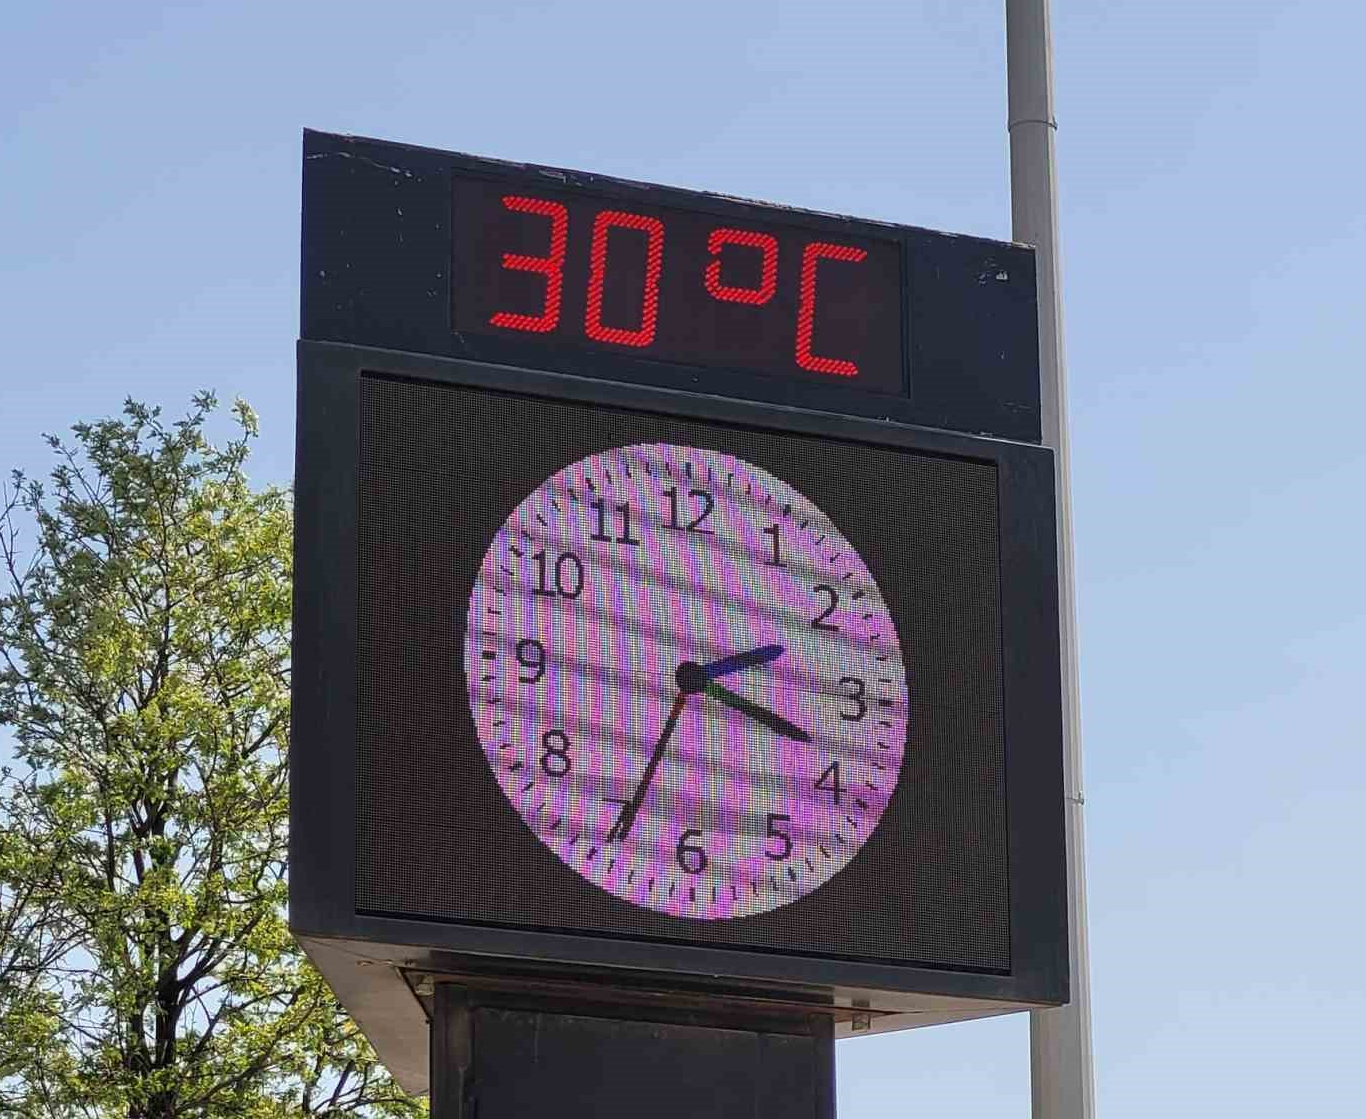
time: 3:34
